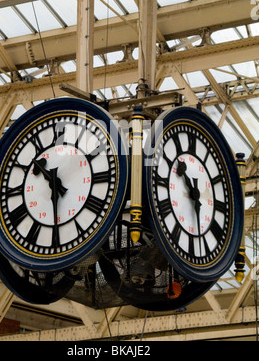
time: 10:28
